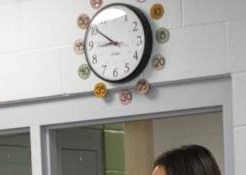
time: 8:50
